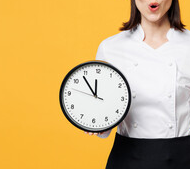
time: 11:53
